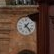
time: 1:23
